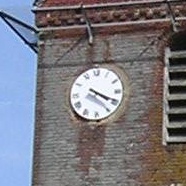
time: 4:19
